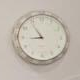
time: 8:54
